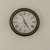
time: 4:57
